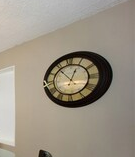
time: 12:53
